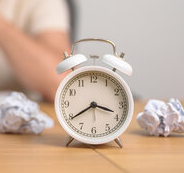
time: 3:39
